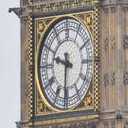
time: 9:31
